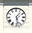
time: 1:28
